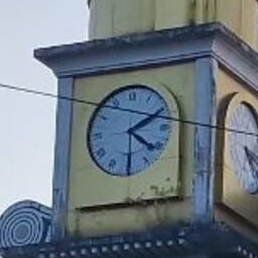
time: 4:10
